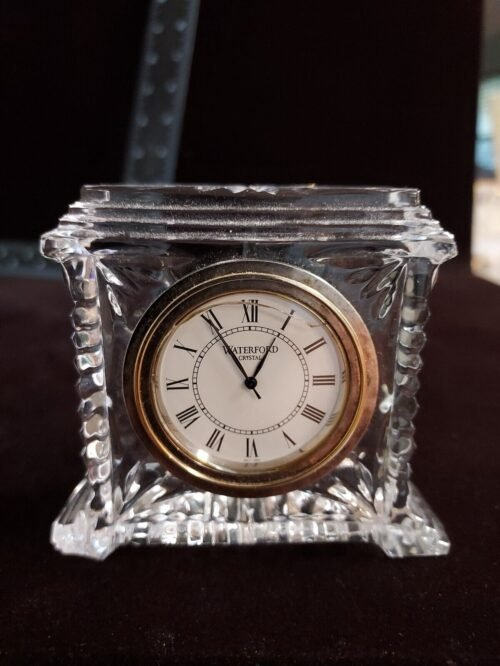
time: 12:55
